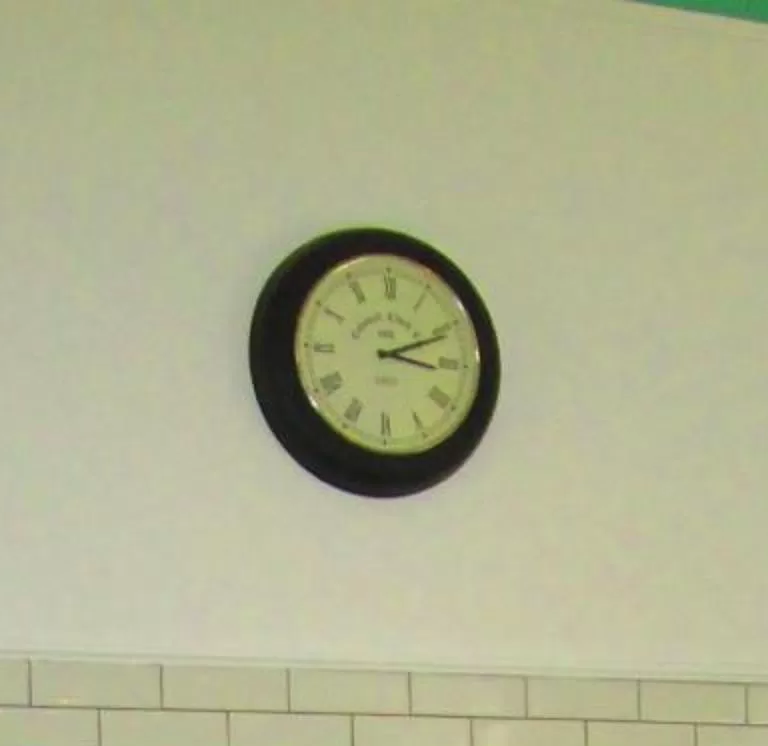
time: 3:11
